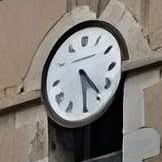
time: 4:29
